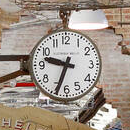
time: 9:33
